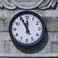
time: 11:55
